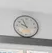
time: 9:55
